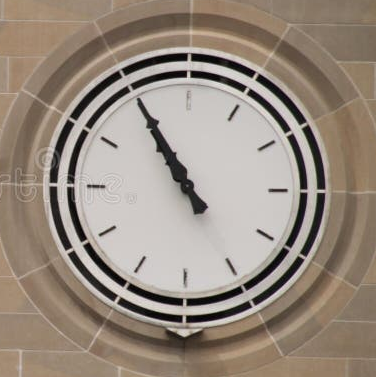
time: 10:54
